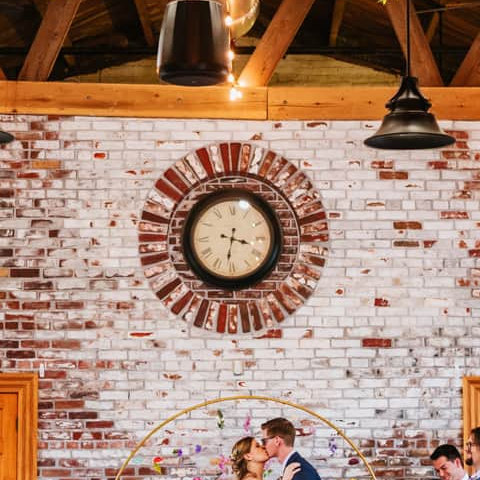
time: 3:32
